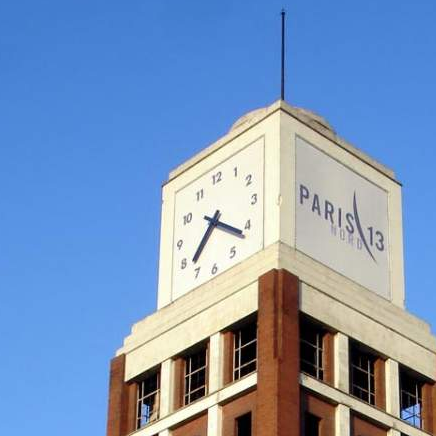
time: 7:21
